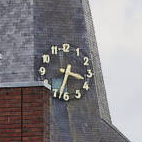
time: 3:33
